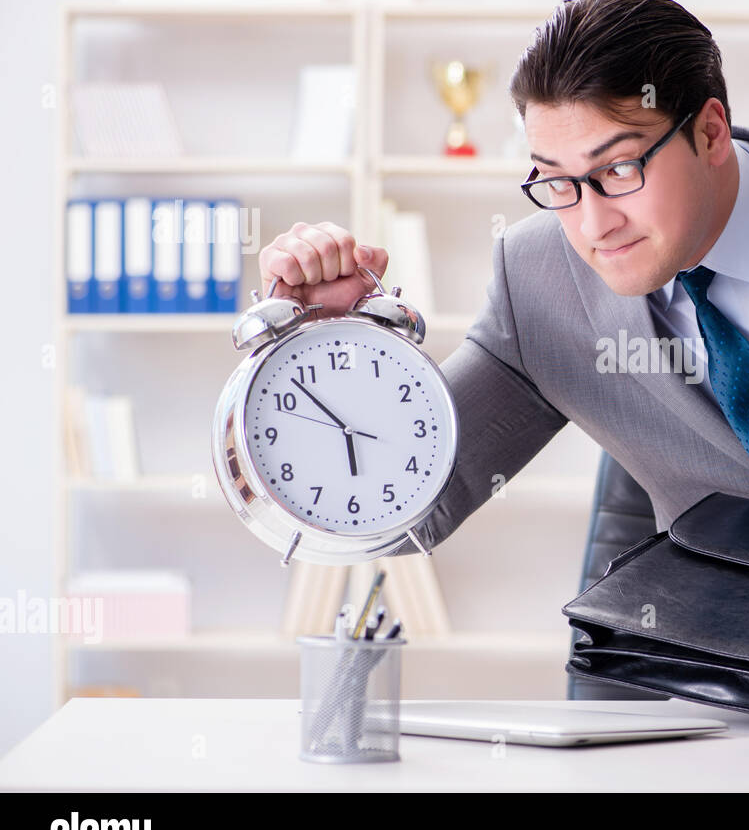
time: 5:53
